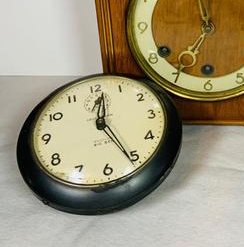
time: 12:25
